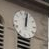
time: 12:01
